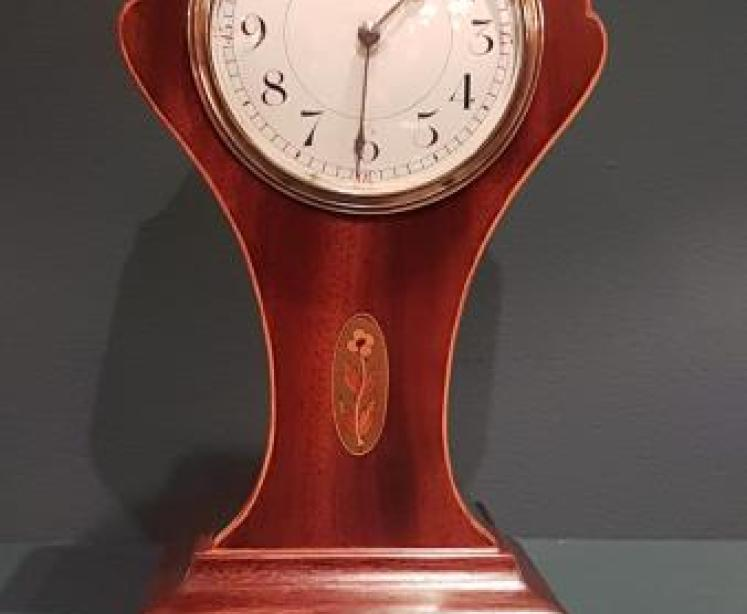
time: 1:30
